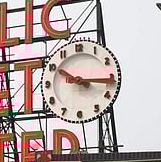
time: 10:15
